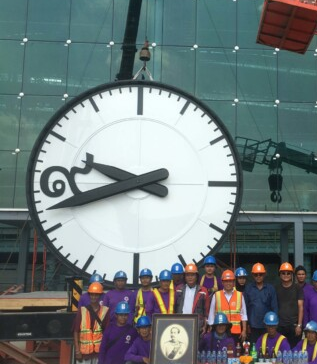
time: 9:42
